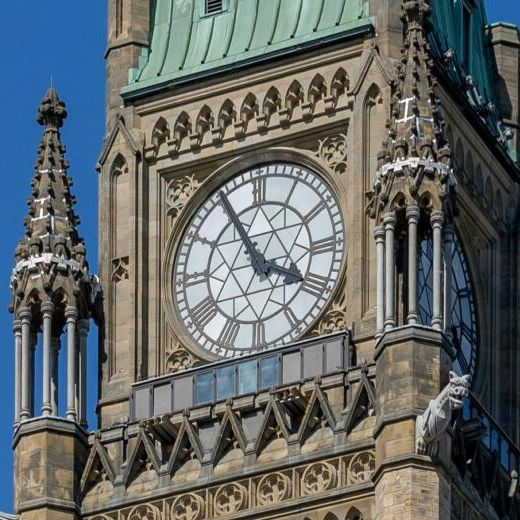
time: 3:55
